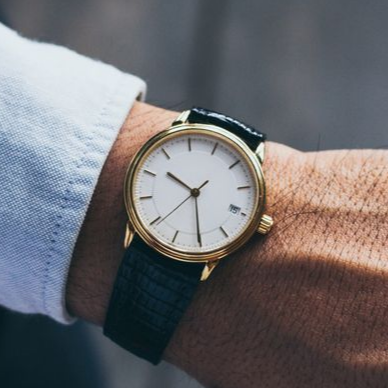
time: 10:30
